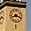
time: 8:18
